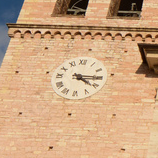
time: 4:15
